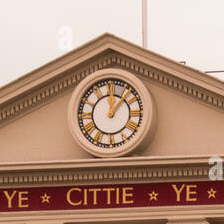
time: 12:07
